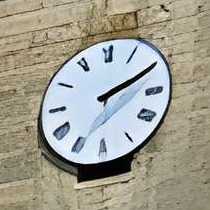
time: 2:10
